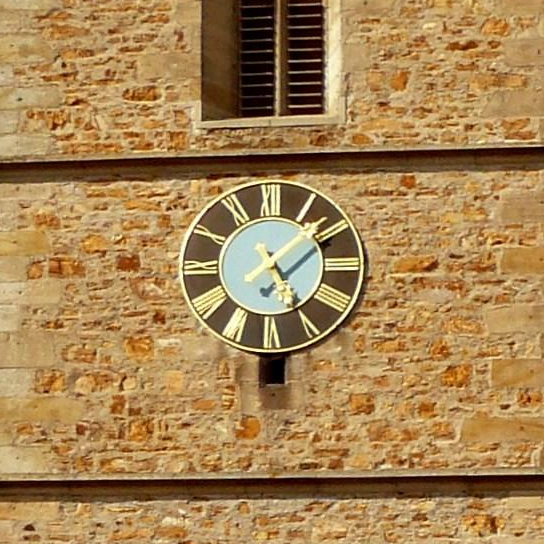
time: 5:08
